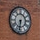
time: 6:32
